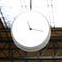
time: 11:17
